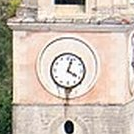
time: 4:03
